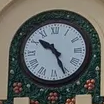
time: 10:26
